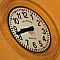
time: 8:42
